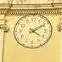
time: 4:09
